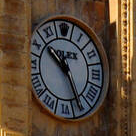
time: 10:25
